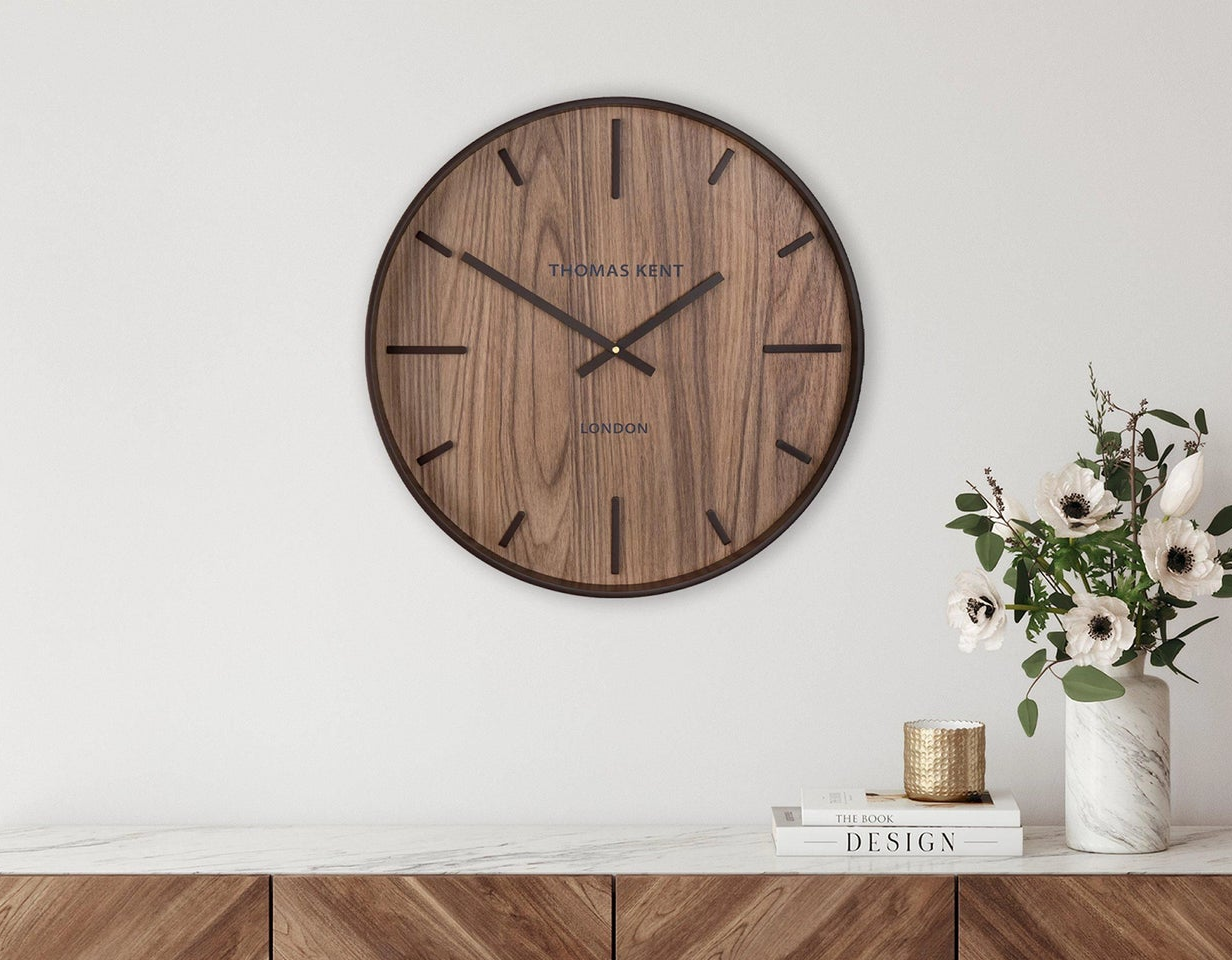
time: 1:50
